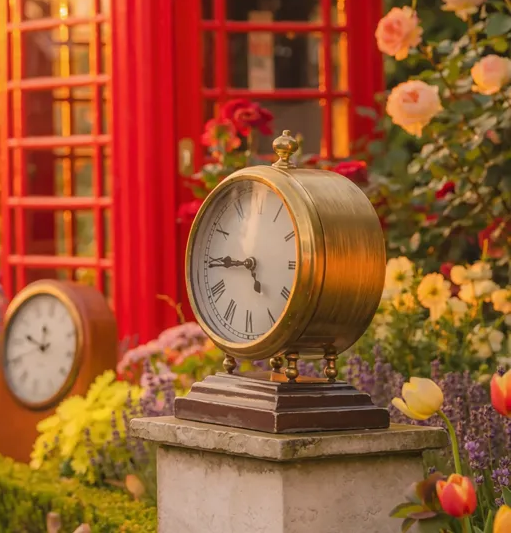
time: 4:44
